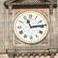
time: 11:13
